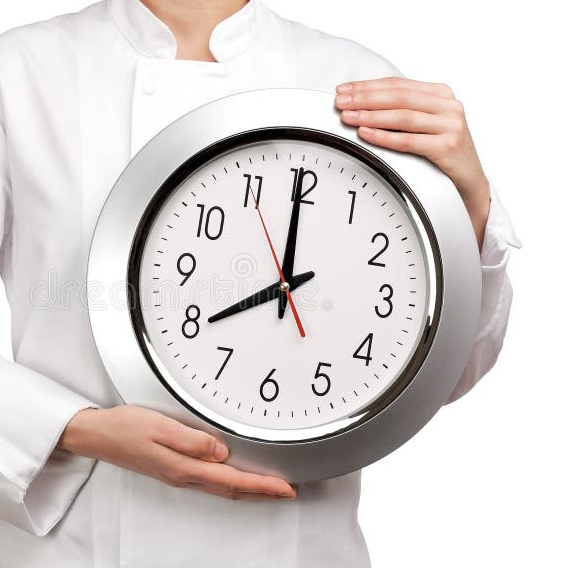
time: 7:59
